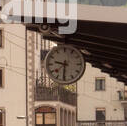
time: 9:31
